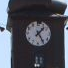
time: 1:24
